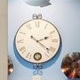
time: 2:21
